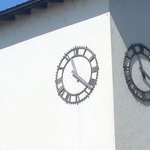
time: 11:21
